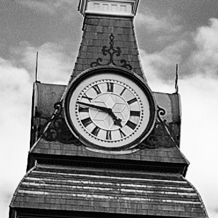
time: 4:46
